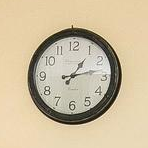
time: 1:12
